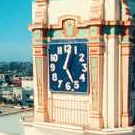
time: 5:03
